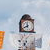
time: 11:40
